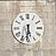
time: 5:31
